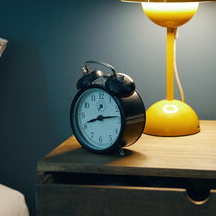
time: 8:14
